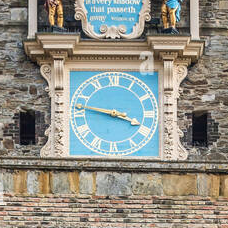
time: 3:46
